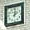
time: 2:01
